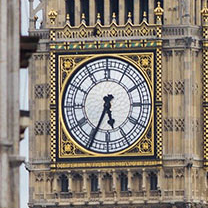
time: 5:34
